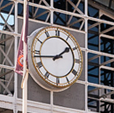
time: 1:43
